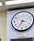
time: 3:34
